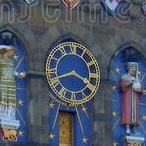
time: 3:42
